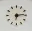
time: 6:13
